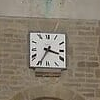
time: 3:34
